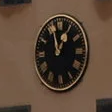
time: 12:57
